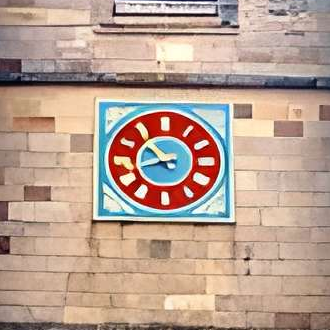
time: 10:42
